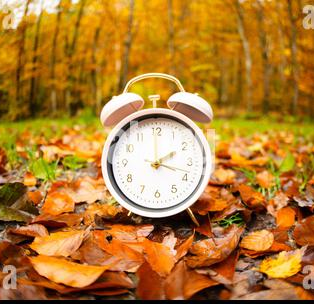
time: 2:00
